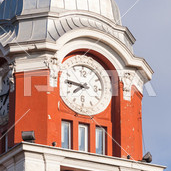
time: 7:46
